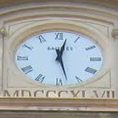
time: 12:27
